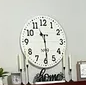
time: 11:29
